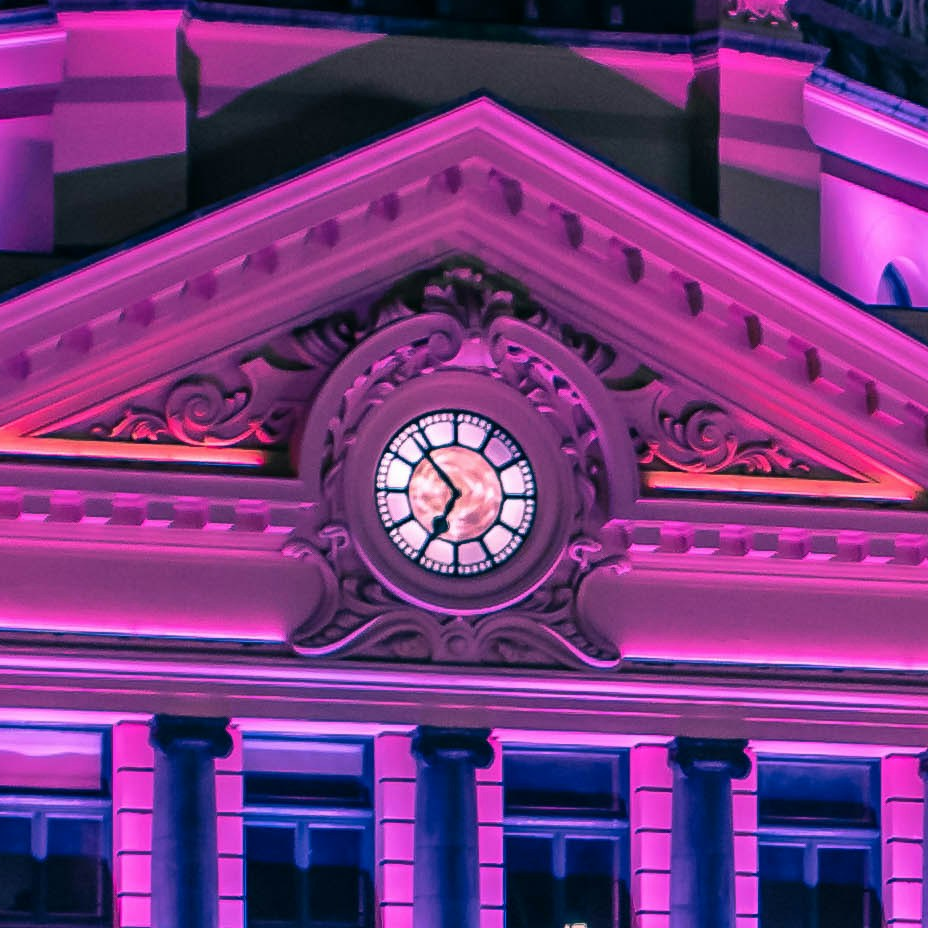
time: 6:53
